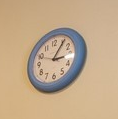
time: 3:05
